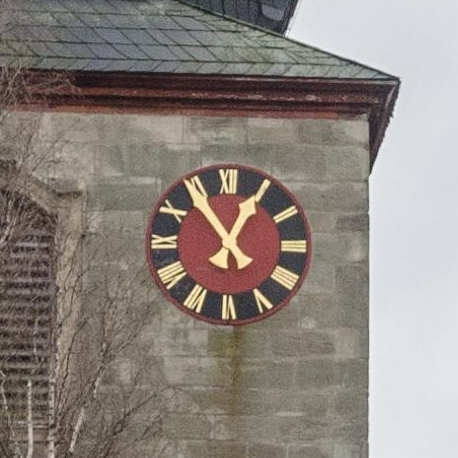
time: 12:54
